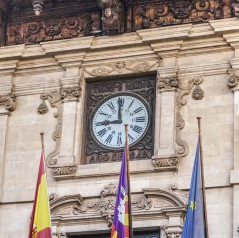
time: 8:59
